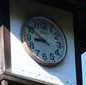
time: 8:50
